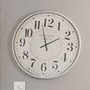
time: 1:57
